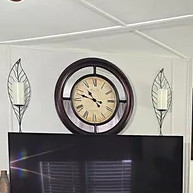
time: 10:47
